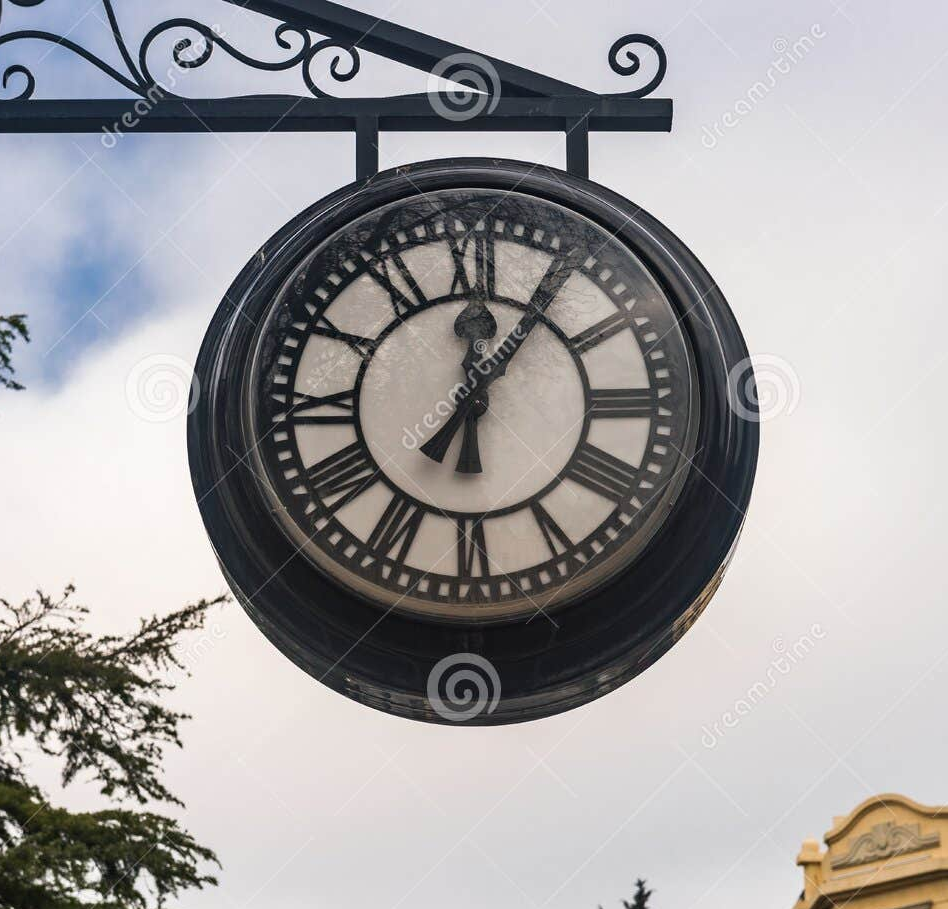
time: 12:05
